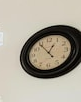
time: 12:53
